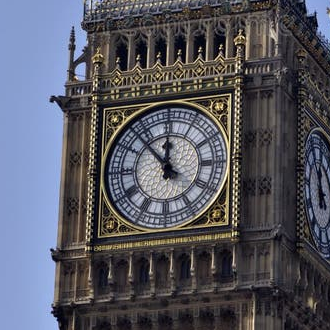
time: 11:52
